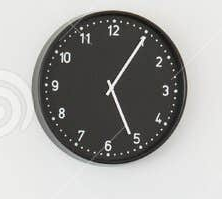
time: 5:05
